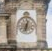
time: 12:32
